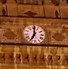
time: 7:00
